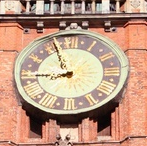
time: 8:56
